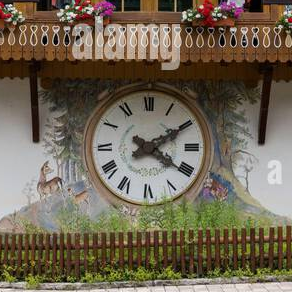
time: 4:09
